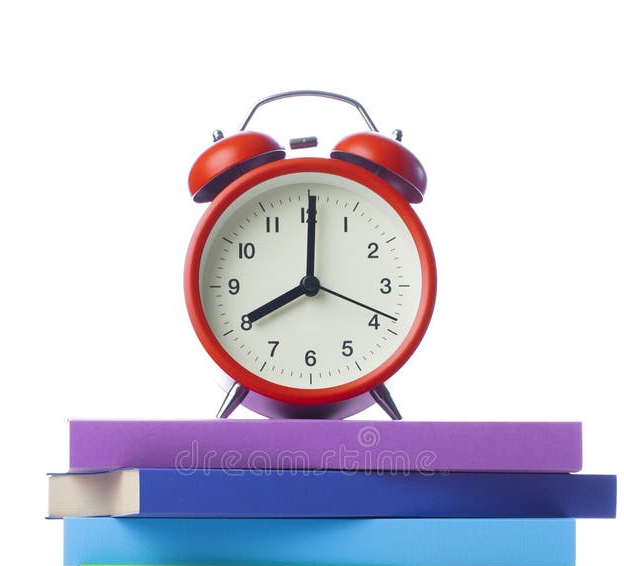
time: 8:00
